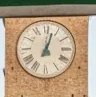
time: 7:02
